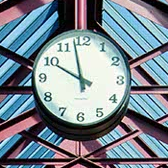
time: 9:57
